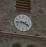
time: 3:44
